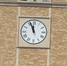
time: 11:56
